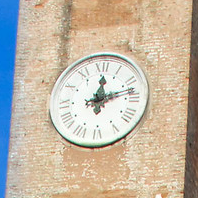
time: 12:12
